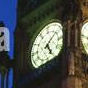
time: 5:08
